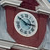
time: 2:50
